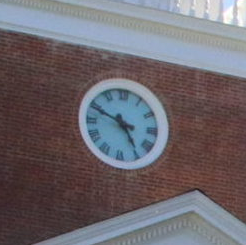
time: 4:48
